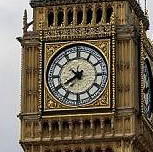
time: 7:39
